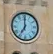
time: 7:00
